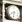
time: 8:32
